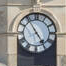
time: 4:54
